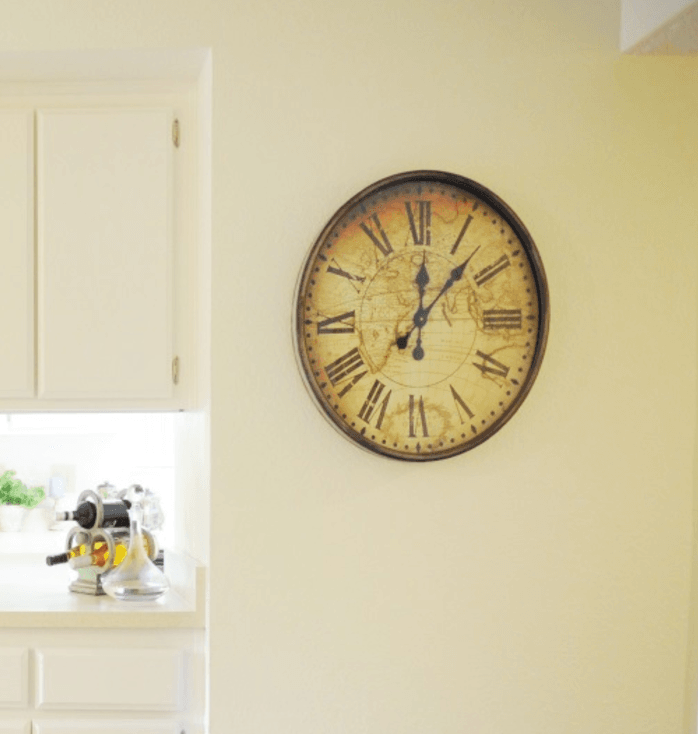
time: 12:07
